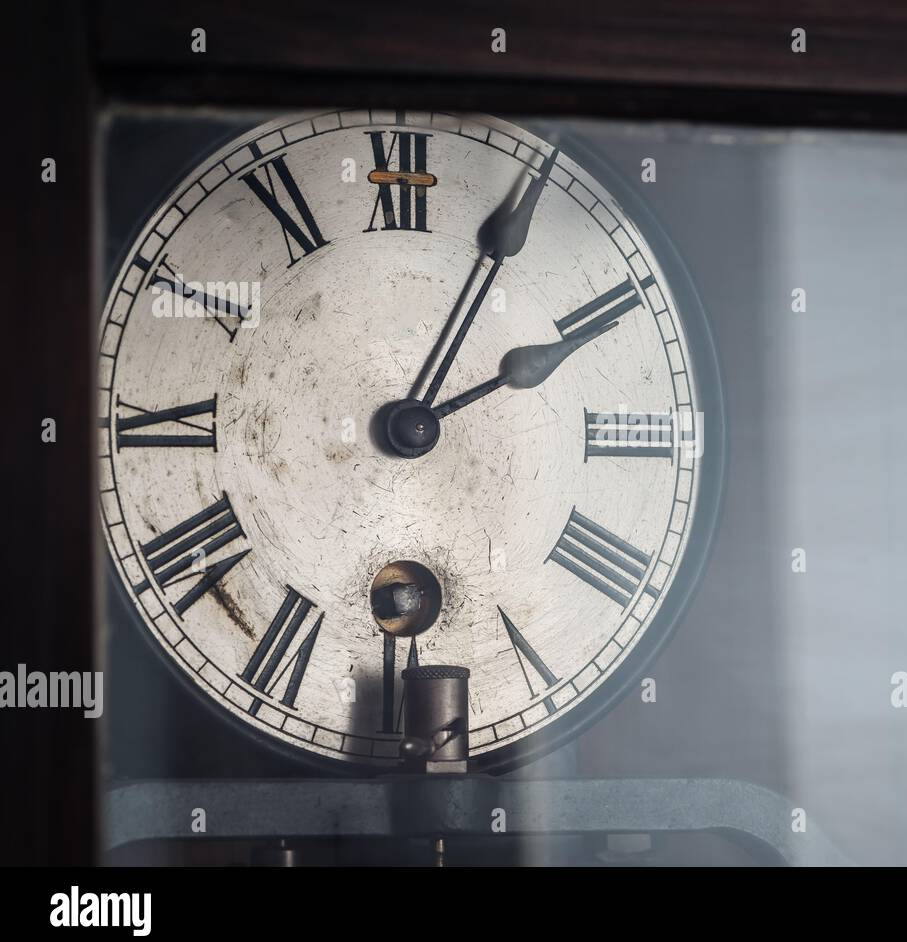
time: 2:04
